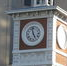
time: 4:57
